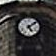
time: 5:08
